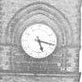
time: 5:17
